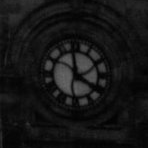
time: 3:58
